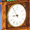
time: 8:54
